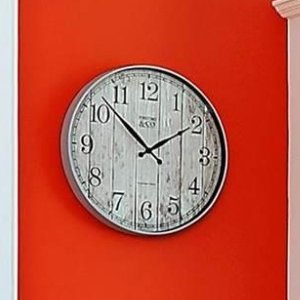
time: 1:51
